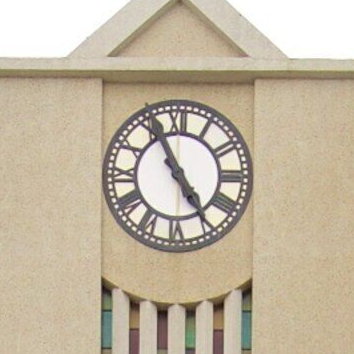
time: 4:55
